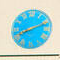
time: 8:11
